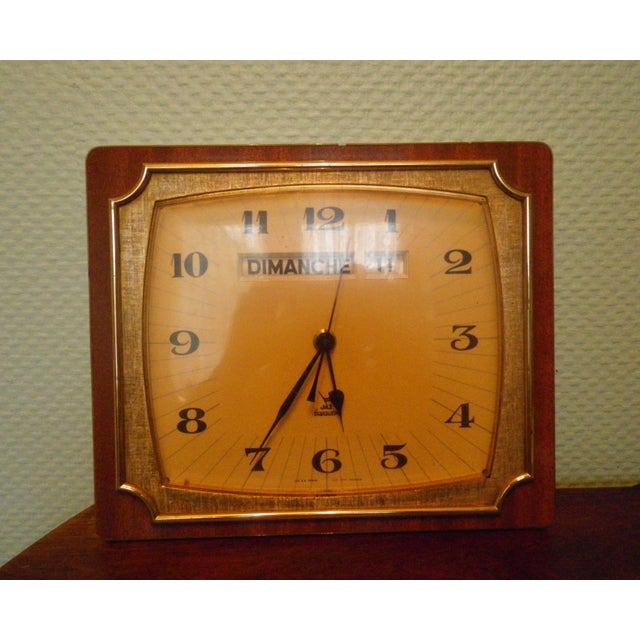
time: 5:35
